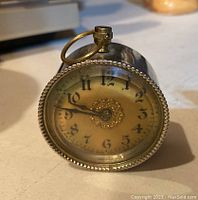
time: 9:46
